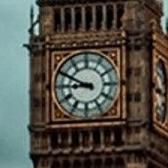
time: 8:49
